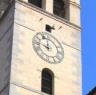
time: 11:46
